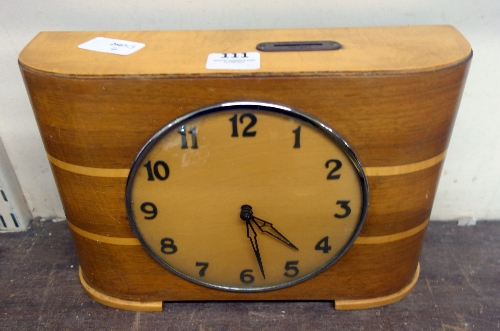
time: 4:28
